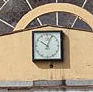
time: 10:03
